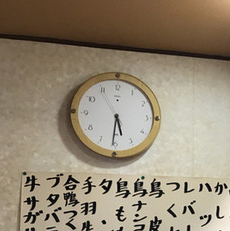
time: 5:30
